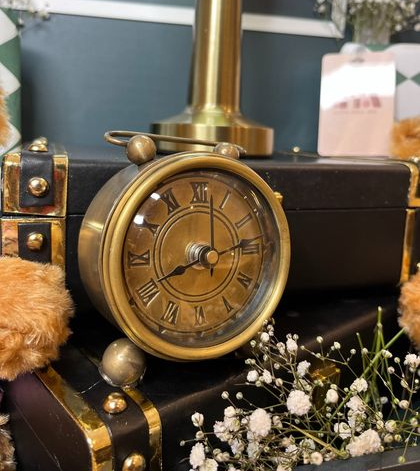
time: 8:13
